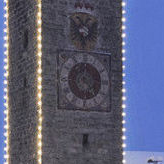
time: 12:24
